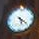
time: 5:21
